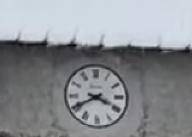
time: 3:40
